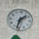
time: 1:32
